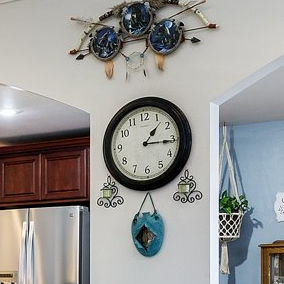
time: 1:15
